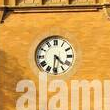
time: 4:31
